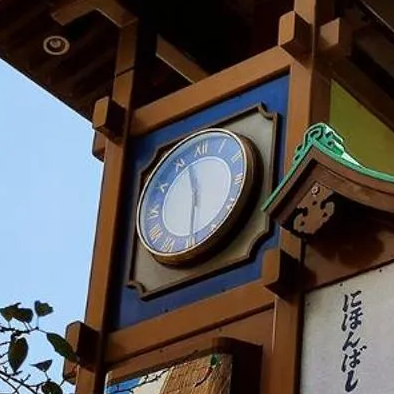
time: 11:29
